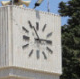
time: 2:56
